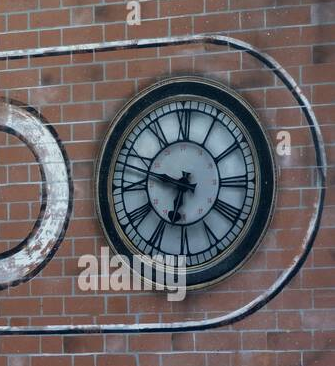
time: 6:47
